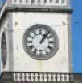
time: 1:06
